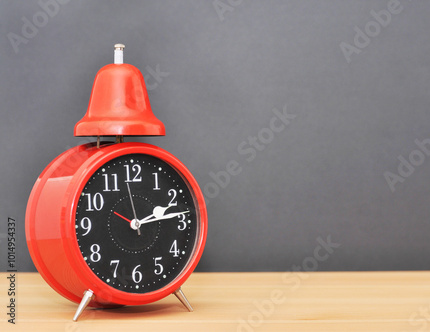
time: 2:13
